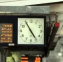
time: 4:54
